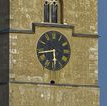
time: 5:43
